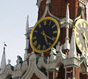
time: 5:20
